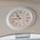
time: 10:43
